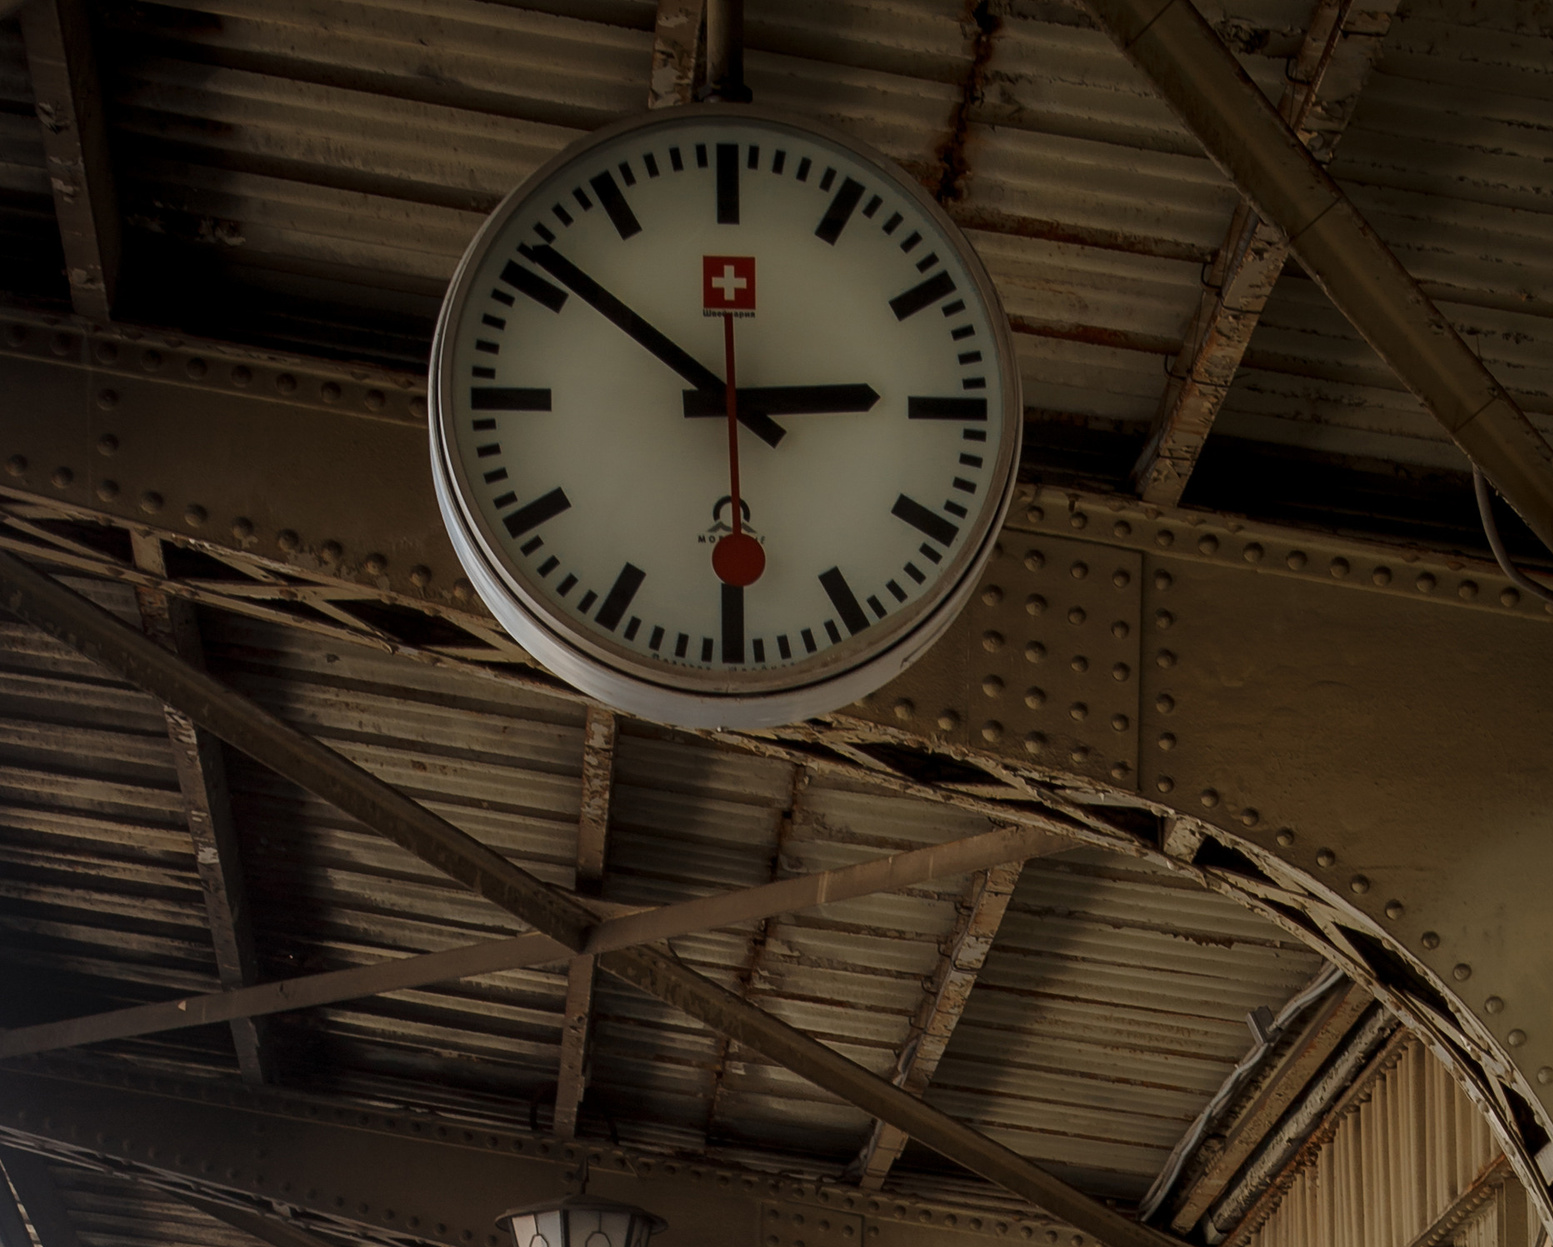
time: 2:51
